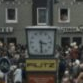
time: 3:29
